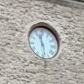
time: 11:28
